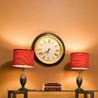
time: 6:38
